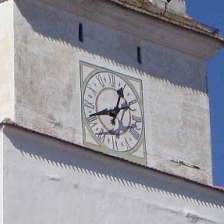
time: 12:41
